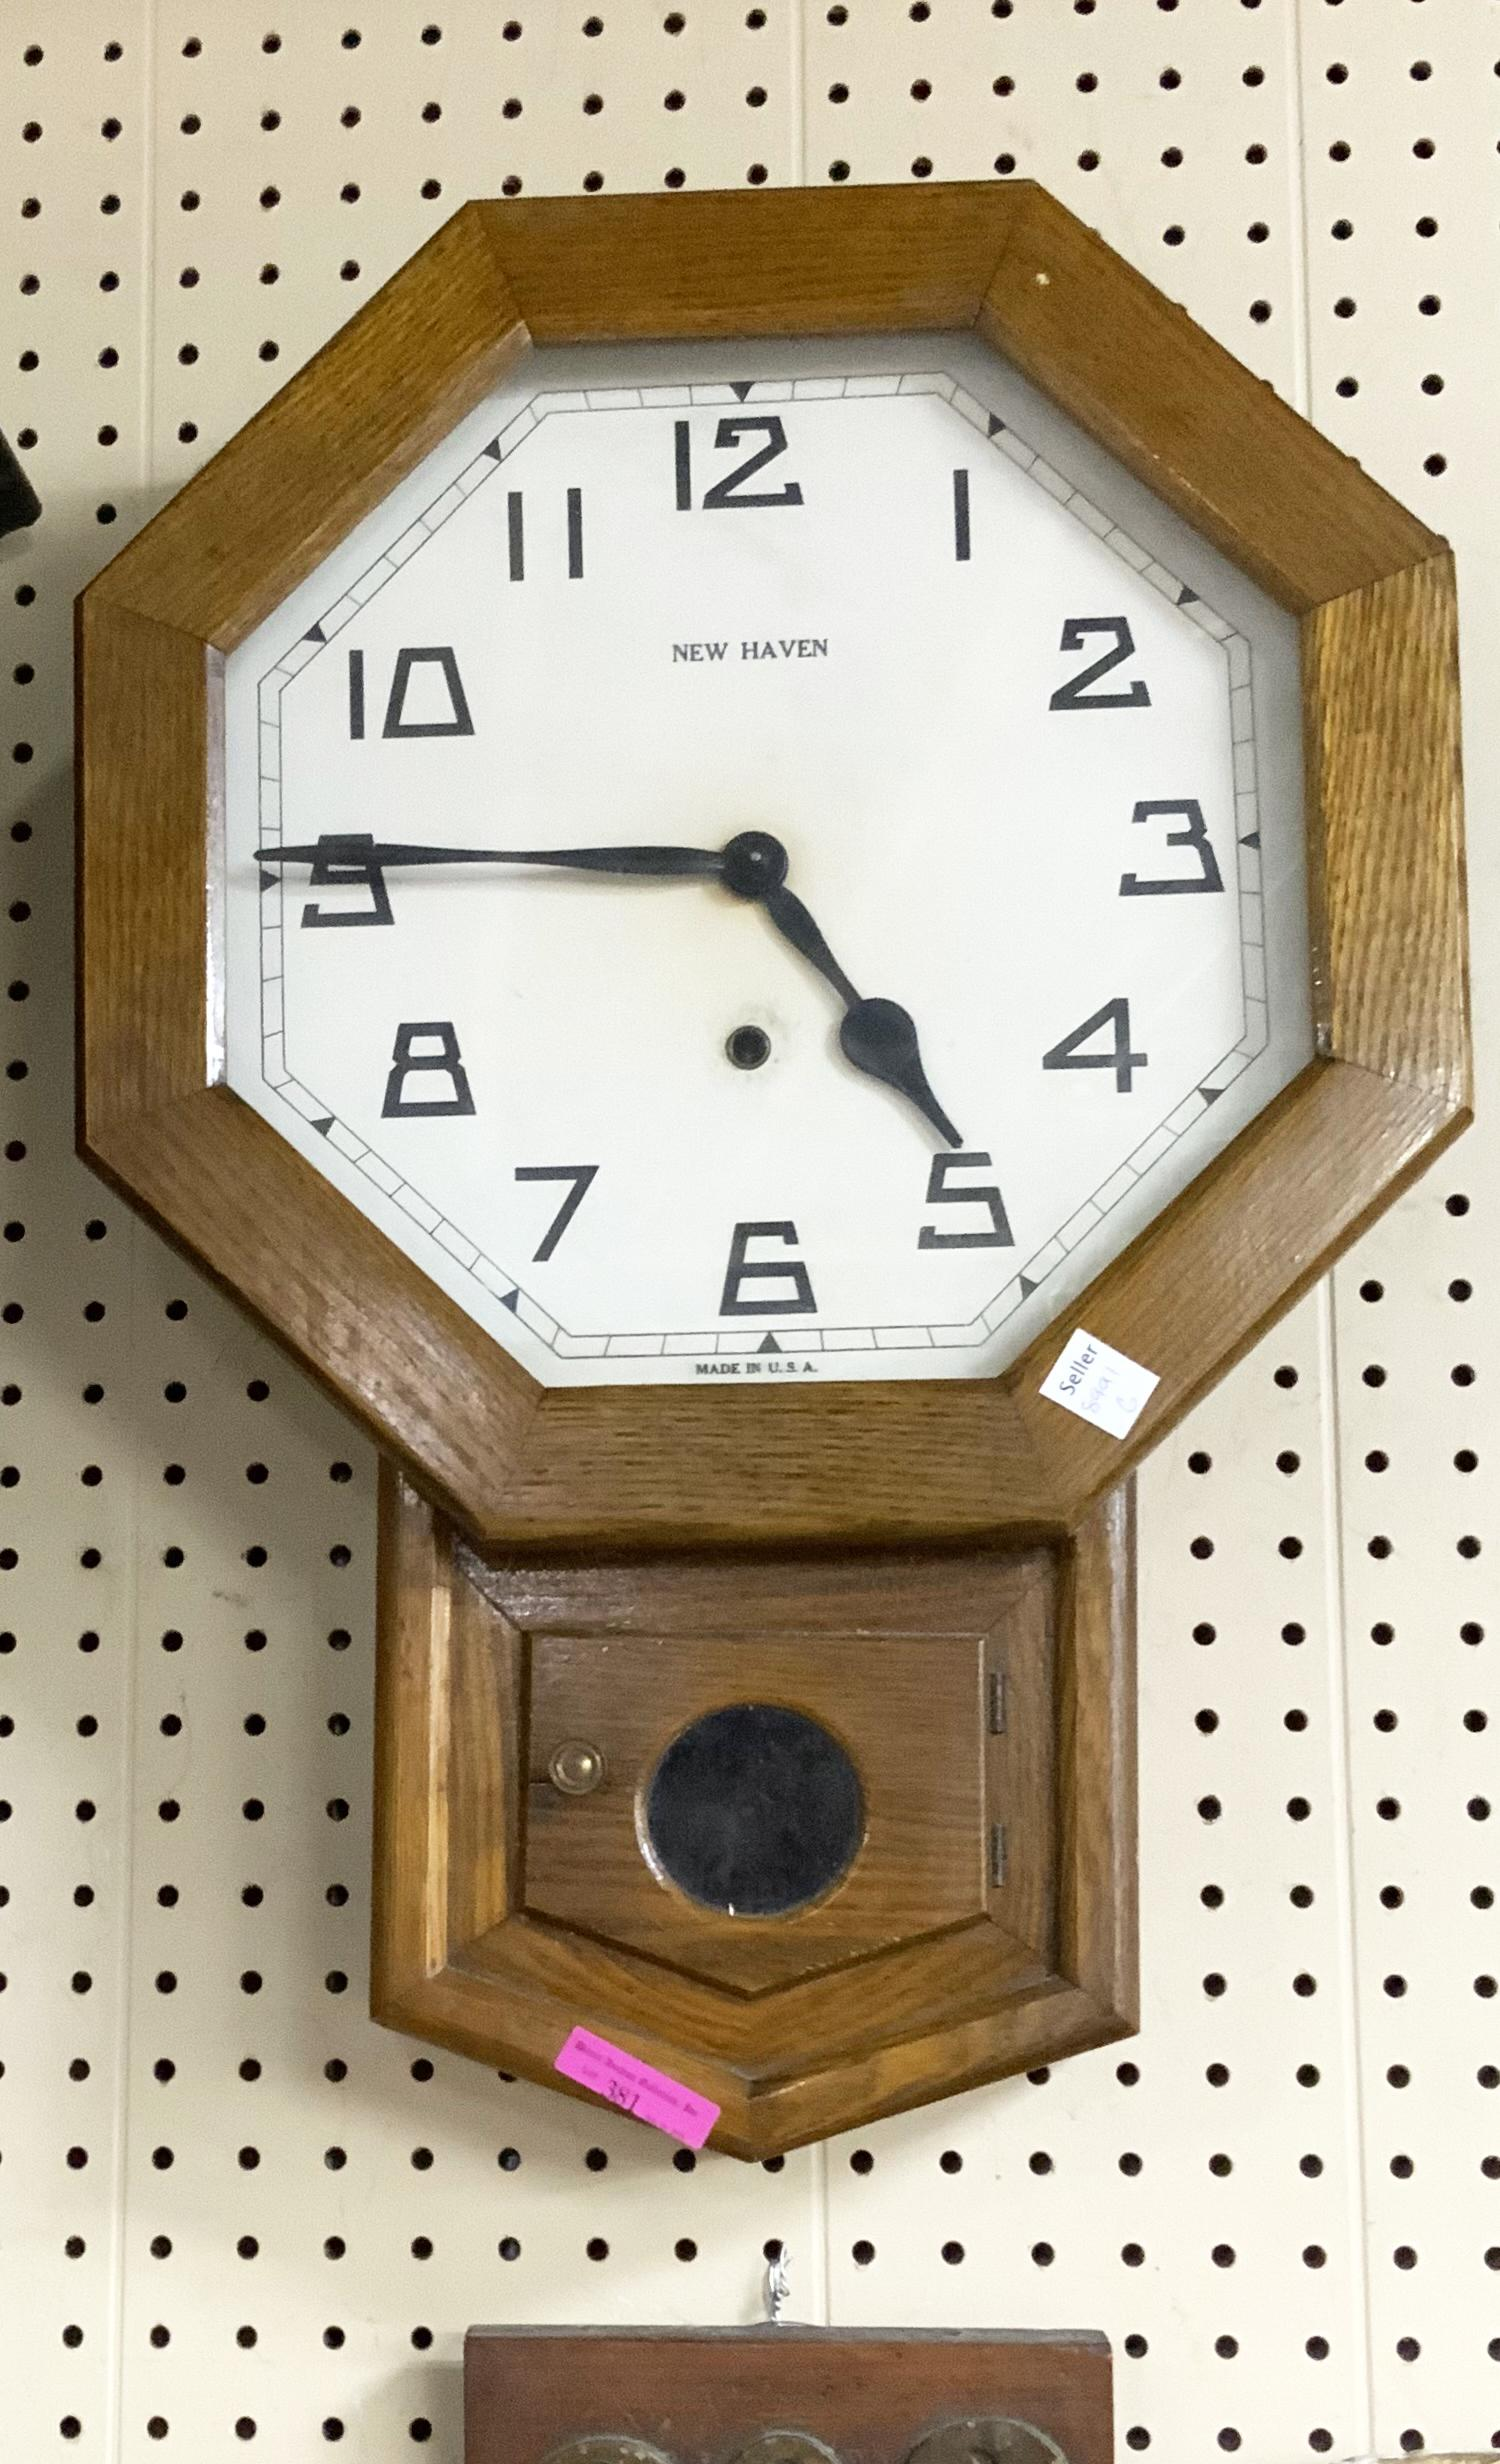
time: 4:45
